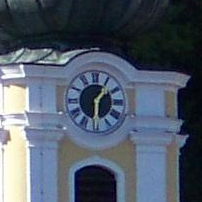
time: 1:30
